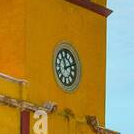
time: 11:11
